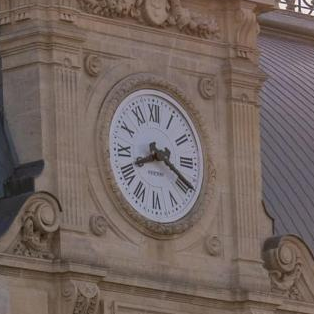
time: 8:19
